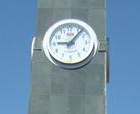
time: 9:07
